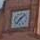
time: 7:07
